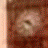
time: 9:22
